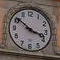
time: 3:51
